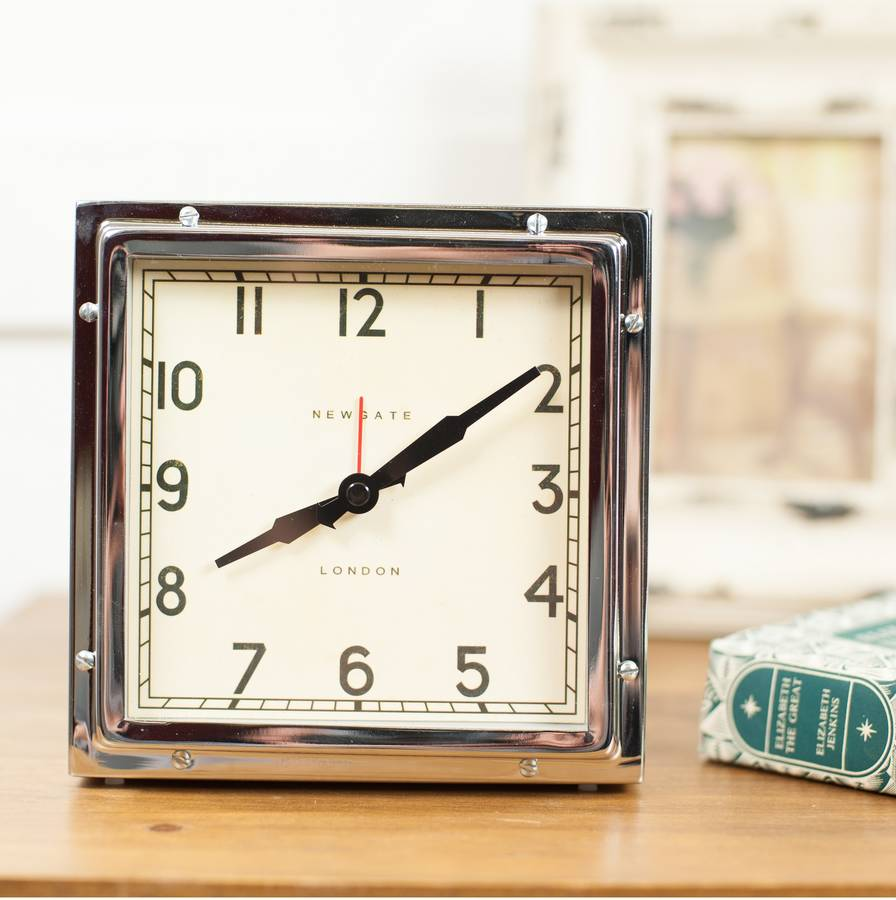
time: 8:09
